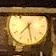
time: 7:27
